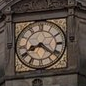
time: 8:21
